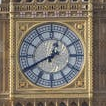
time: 12:40
